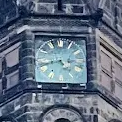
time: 4:42
